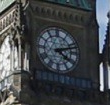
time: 4:12
